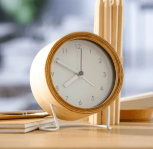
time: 7:49
